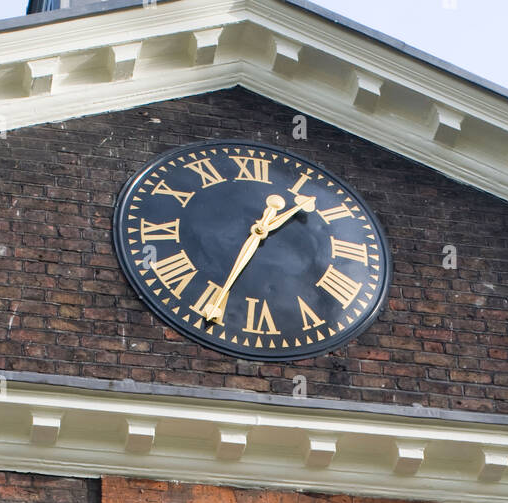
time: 1:34
